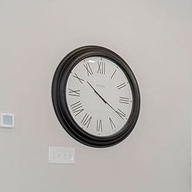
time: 10:20
